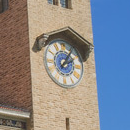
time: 2:05
